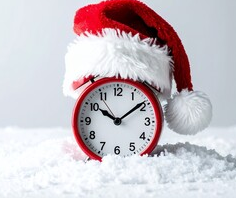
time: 10:08
